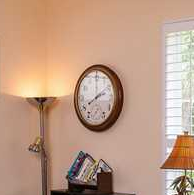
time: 7:59
